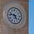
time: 4:46
